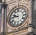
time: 9:43
